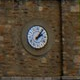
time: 2:06
